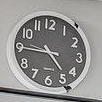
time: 4:45
